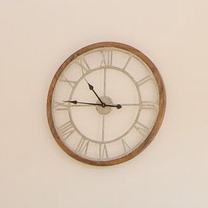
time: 10:45
